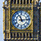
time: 11:13
